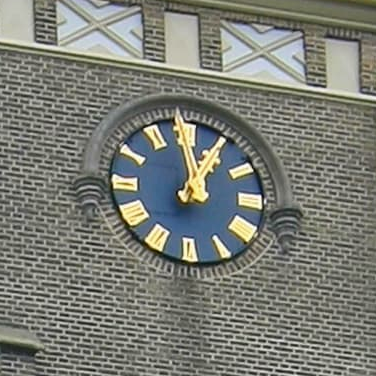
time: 12:58
